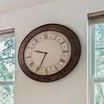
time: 9:34
